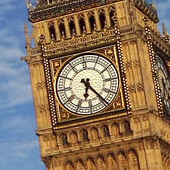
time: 6:24
